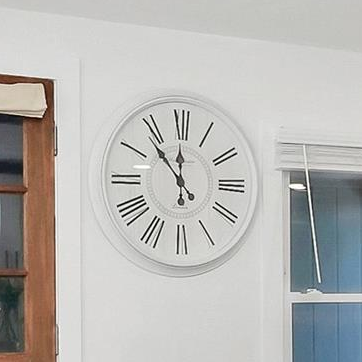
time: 11:53
